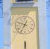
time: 12:34
